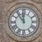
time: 11:53
